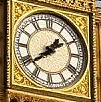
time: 1:38
